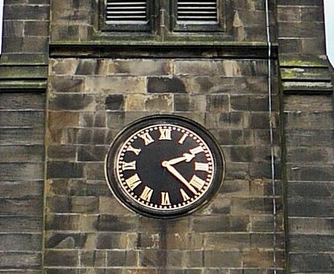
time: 2:22
